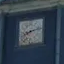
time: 8:12
